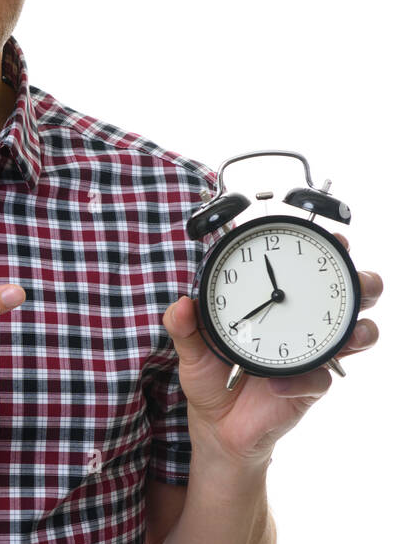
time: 11:40
